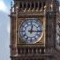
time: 12:15
